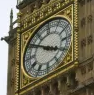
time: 3:50
